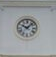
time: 10:07
